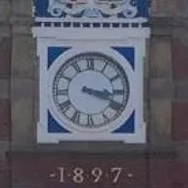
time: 3:19
